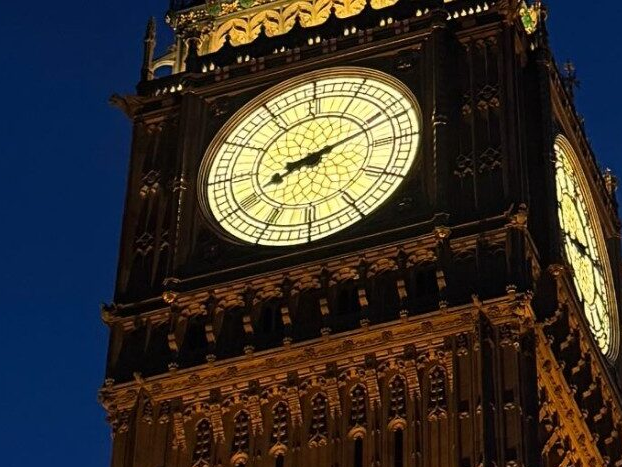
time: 8:11
